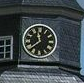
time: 11:38
